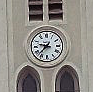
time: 9:37
